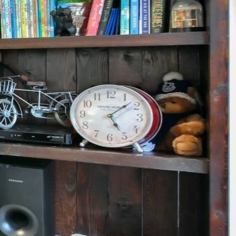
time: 5:08
